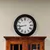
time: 8:43
